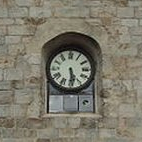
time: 5:29
